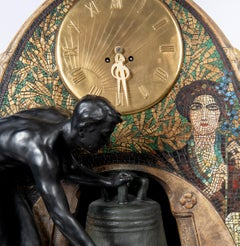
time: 6:29
